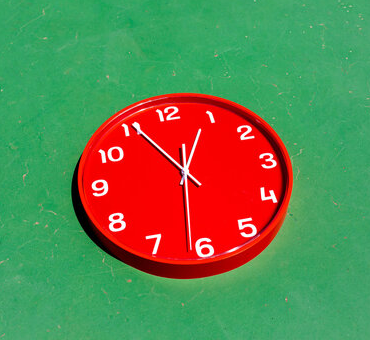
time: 12:55
